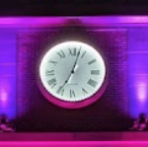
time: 7:02
